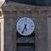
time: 5:33
